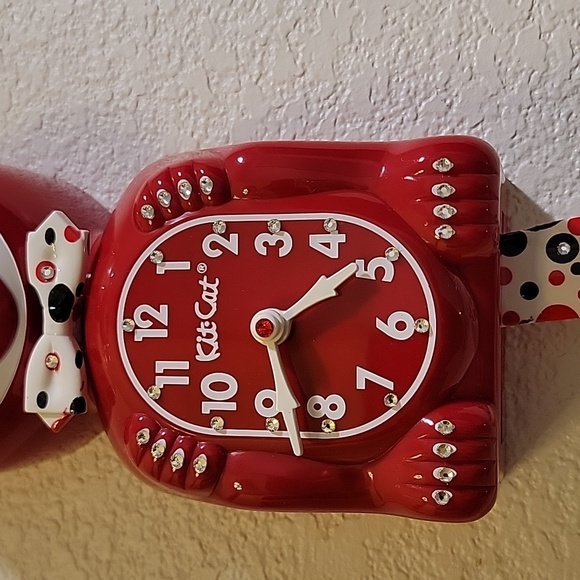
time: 1:28
